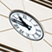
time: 10:46
